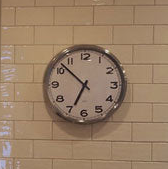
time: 6:52
